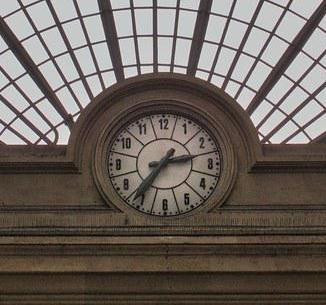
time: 2:36
